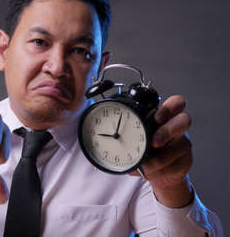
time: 9:02
